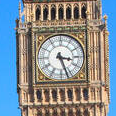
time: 3:26
